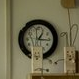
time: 1:16
